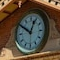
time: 12:50
